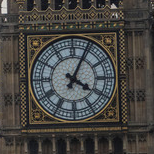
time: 4:04
